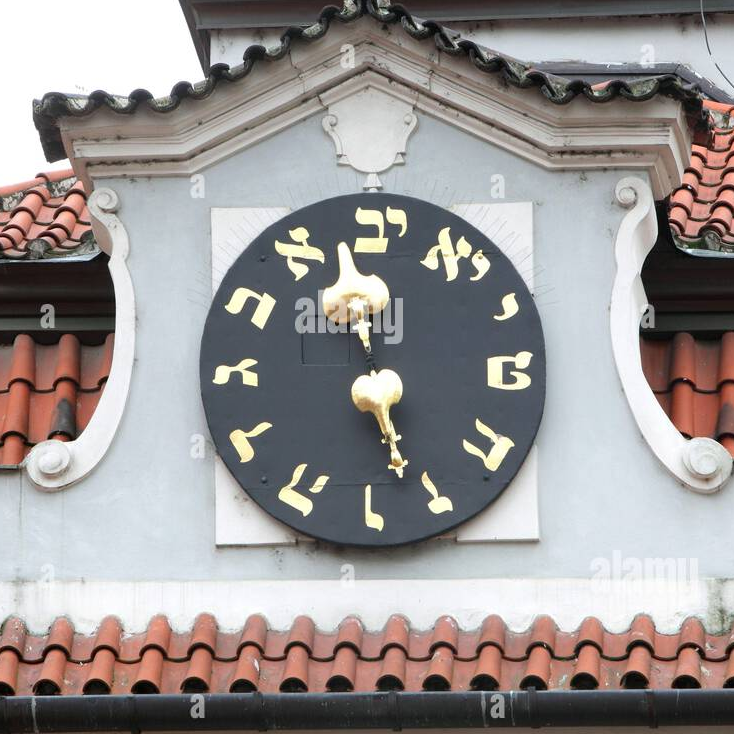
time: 5:26
